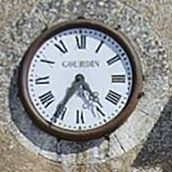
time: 4:35
